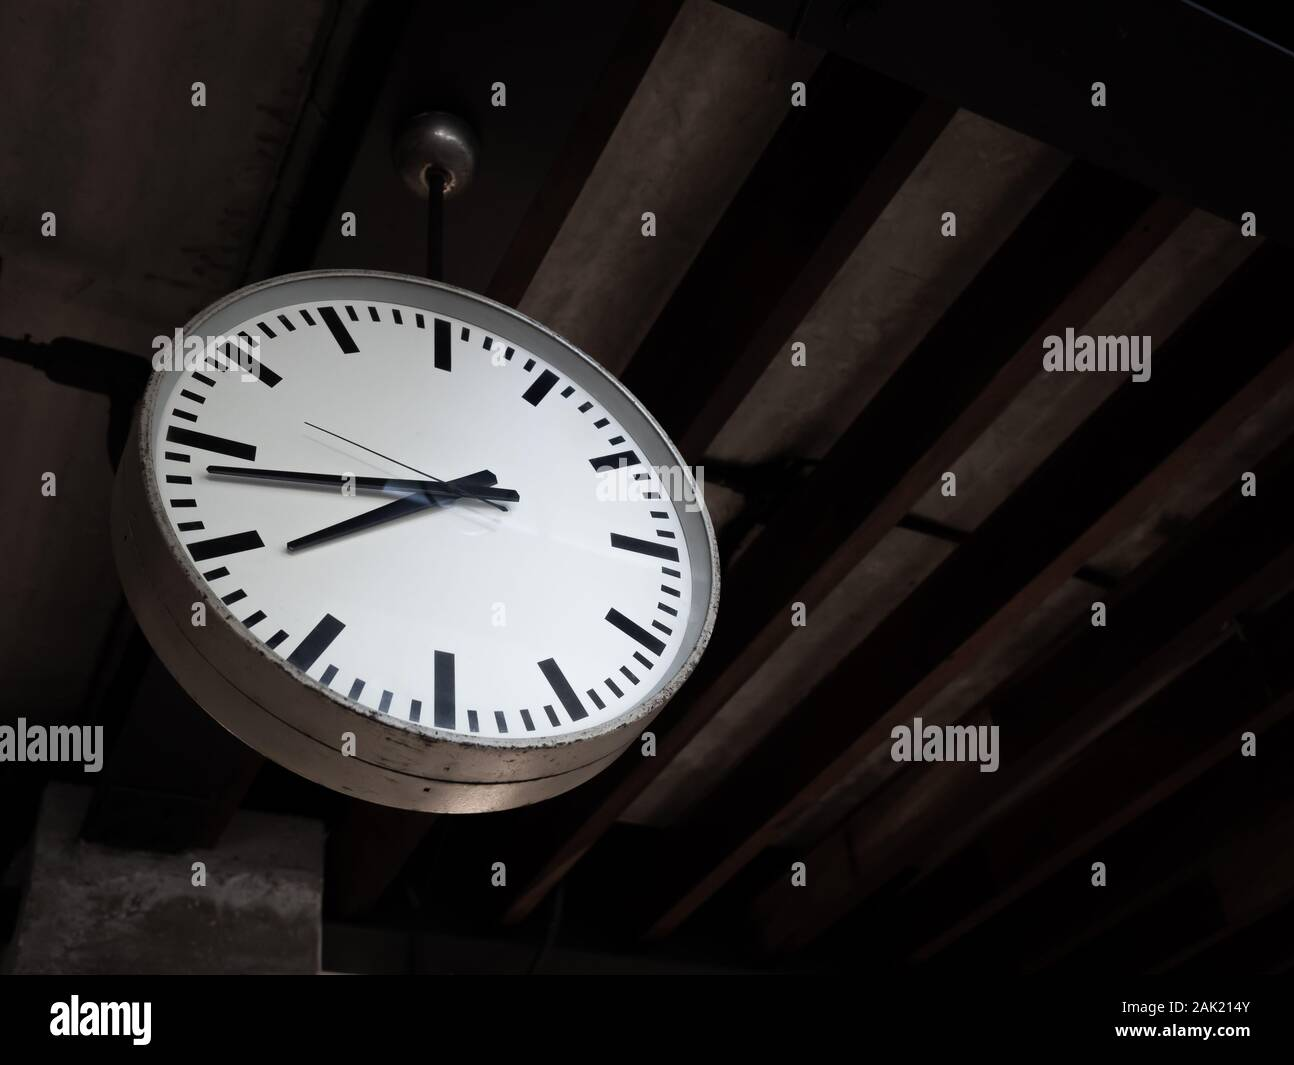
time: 7:43
